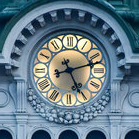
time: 5:12
